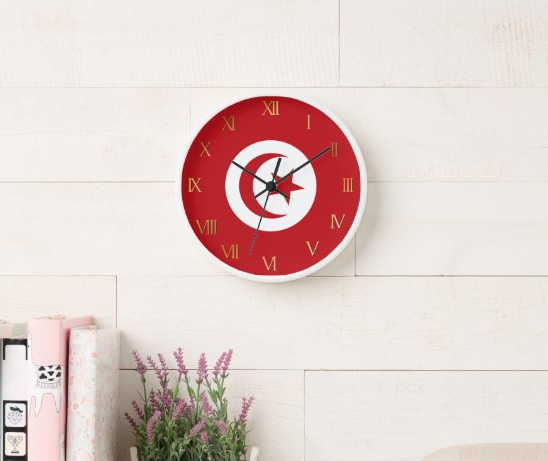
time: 3:09
